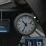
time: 10:34
